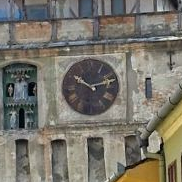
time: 10:12
